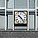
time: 10:23
